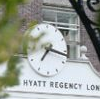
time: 7:17
